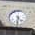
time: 4:31
